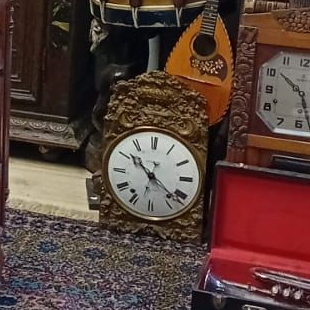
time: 10:21
